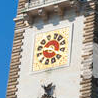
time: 3:43
